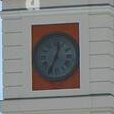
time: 12:34
